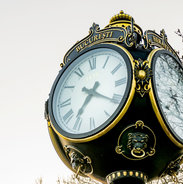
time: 7:20
